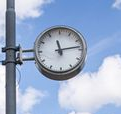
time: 11:13
